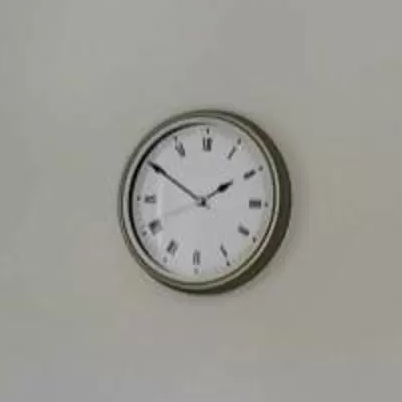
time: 1:50
